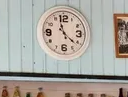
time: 11:21
